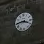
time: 3:44
